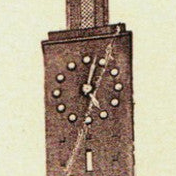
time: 5:03
